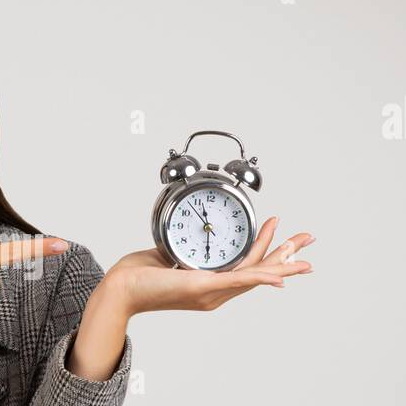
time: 11:29
